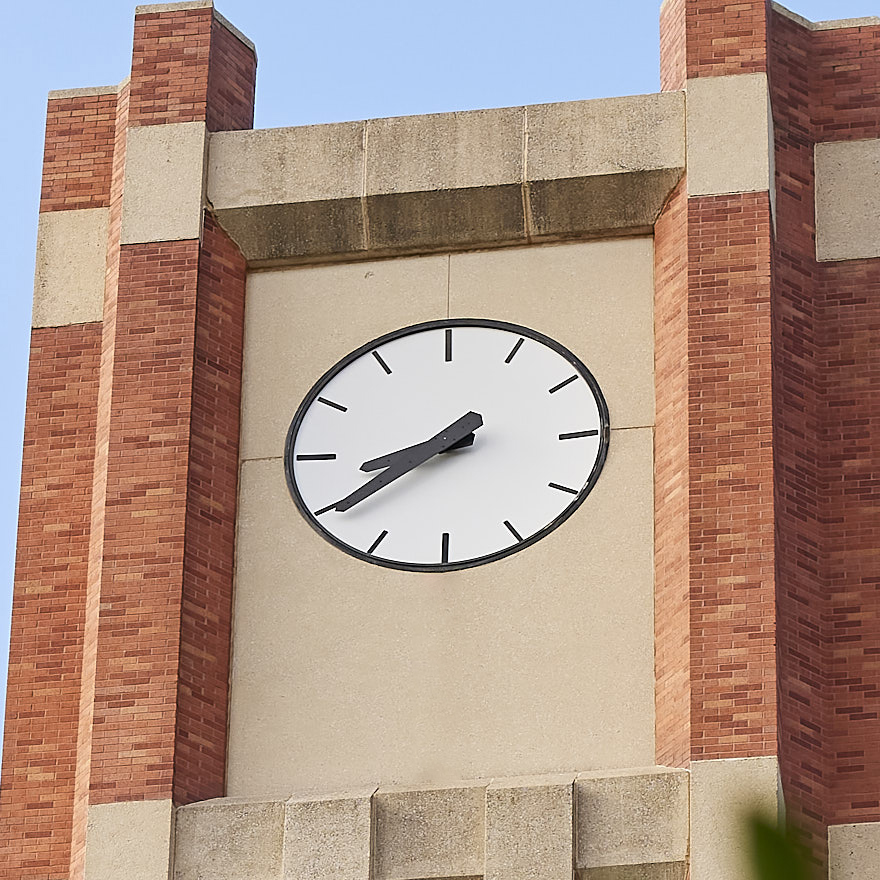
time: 8:39
